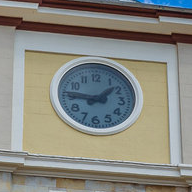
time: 1:46
